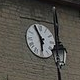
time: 5:55
